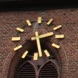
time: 2:28
